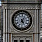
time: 5:05
